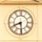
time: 8:29
